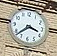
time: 3:37
